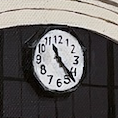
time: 11:22
